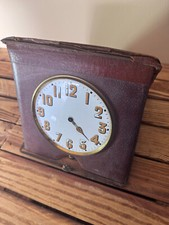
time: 4:21
